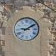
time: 9:09
